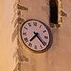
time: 7:22
